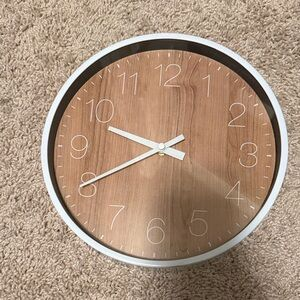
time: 9:40
